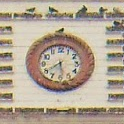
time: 5:40
